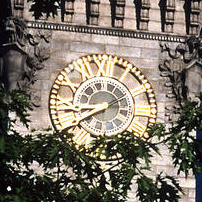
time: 8:40
